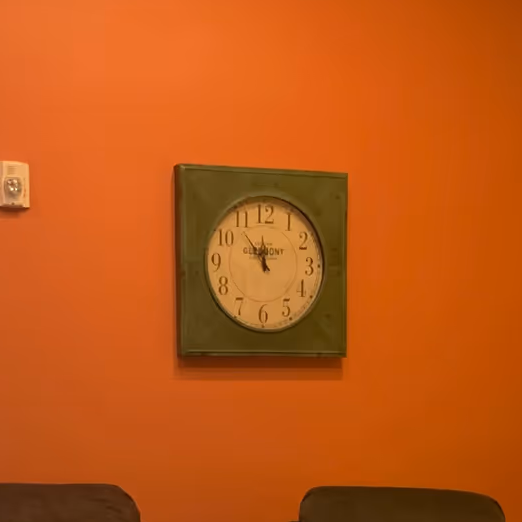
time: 11:53
